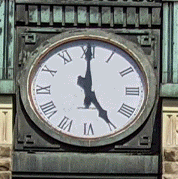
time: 5:00
